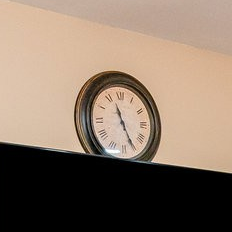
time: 11:25
